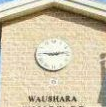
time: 9:12
